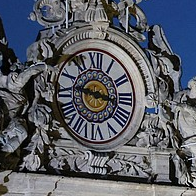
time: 9:16
